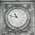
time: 10:46
